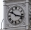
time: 10:17
